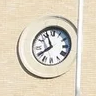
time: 7:56
